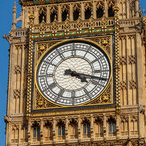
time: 4:17
